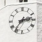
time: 2:36
